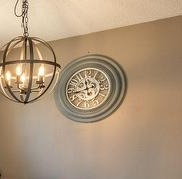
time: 11:42
